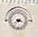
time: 3:37
